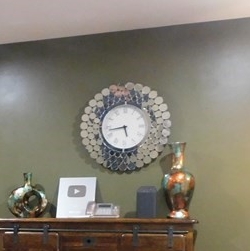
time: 5:43
